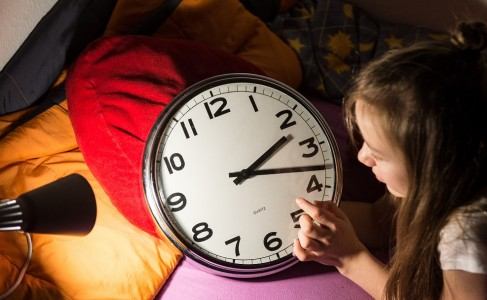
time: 2:18
